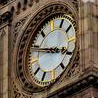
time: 3:48
